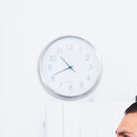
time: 10:41
